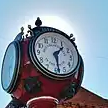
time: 1:28
